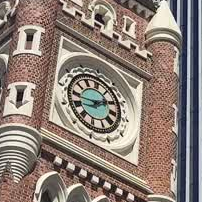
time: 1:43
